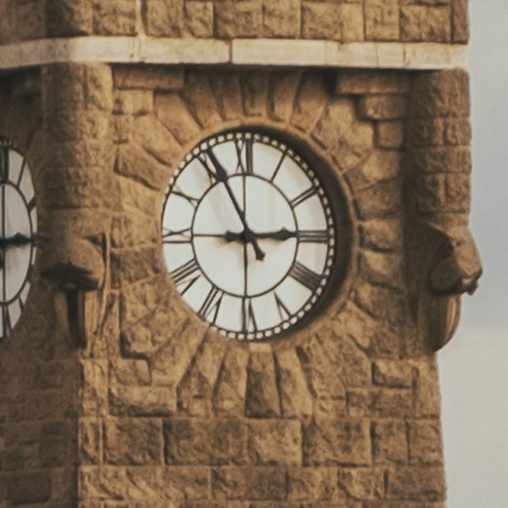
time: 2:55
